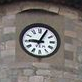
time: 9:04
